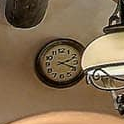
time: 2:18
